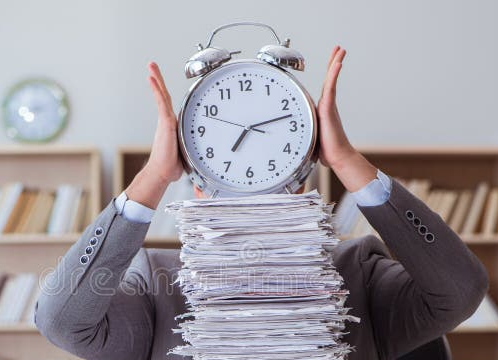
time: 7:12
